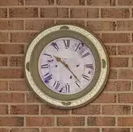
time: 10:23
